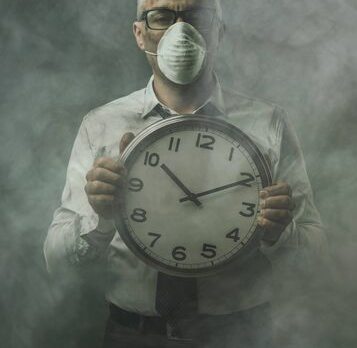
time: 10:10
